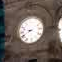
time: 8:40
